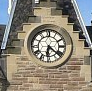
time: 6:21
